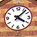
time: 4:07
